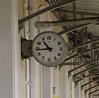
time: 10:43
